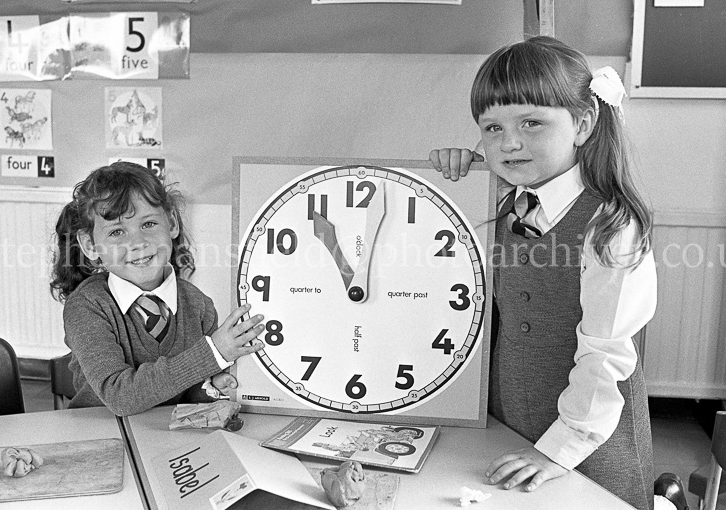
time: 10:55
